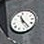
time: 11:24
